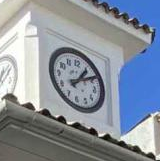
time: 1:09
